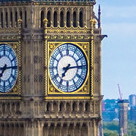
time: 7:14
